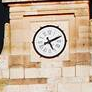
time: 5:11
